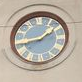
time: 1:43
